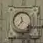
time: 11:36
